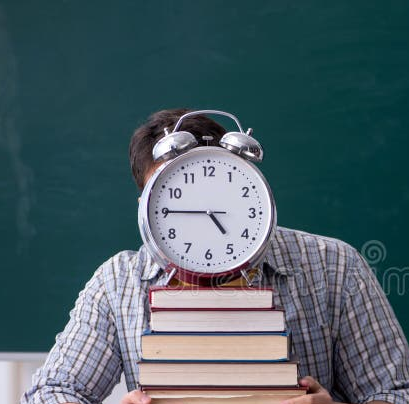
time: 4:45
